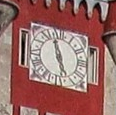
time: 4:57
